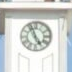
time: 4:56
